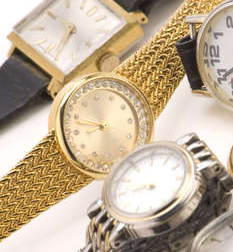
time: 8:47
